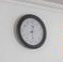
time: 12:28
